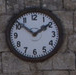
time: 1:51
